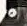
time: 8:38
